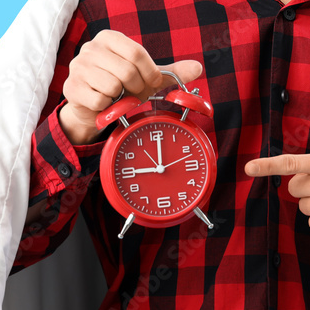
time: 9:00
